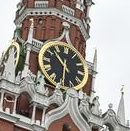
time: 10:30
